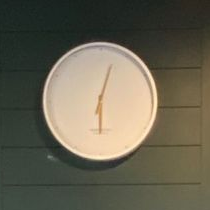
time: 6:03
